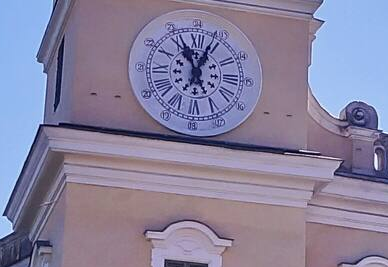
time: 11:03
